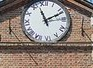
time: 11:11
